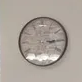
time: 3:14
